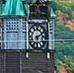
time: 6:10
